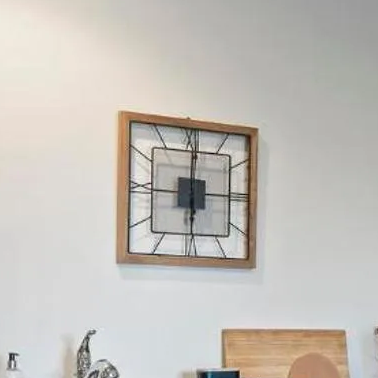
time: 6:00
